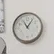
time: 11:05
